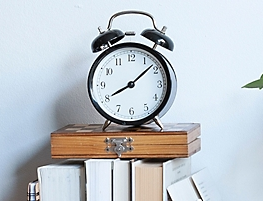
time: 8:08
